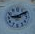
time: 9:10
